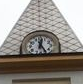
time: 12:24
